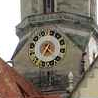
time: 6:21
